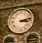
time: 3:12
